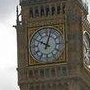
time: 10:02
